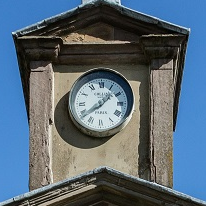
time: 8:07
